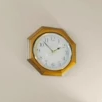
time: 1:52
